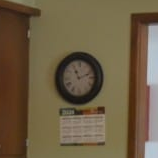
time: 11:11
